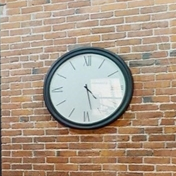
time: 4:27
